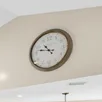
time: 10:47
